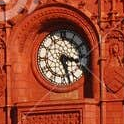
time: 3:27
